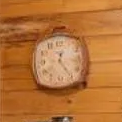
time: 12:24
